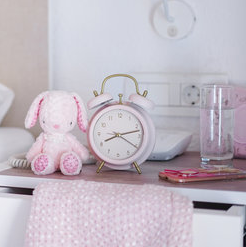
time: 8:12
